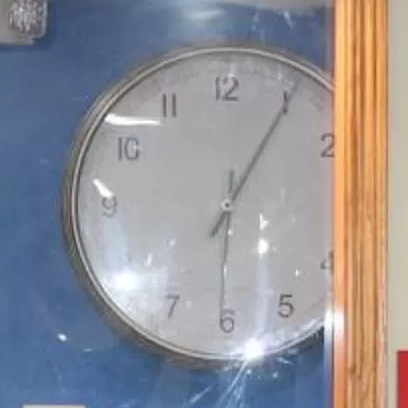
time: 6:05
